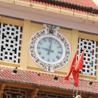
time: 9:01
